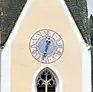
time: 12:32
